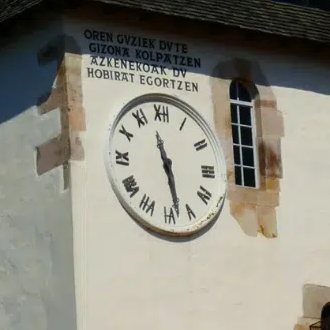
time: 11:28
